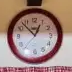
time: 12:52
